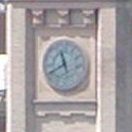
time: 11:40
